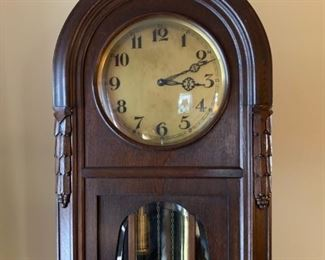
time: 3:11
